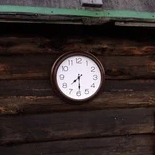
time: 7:29
